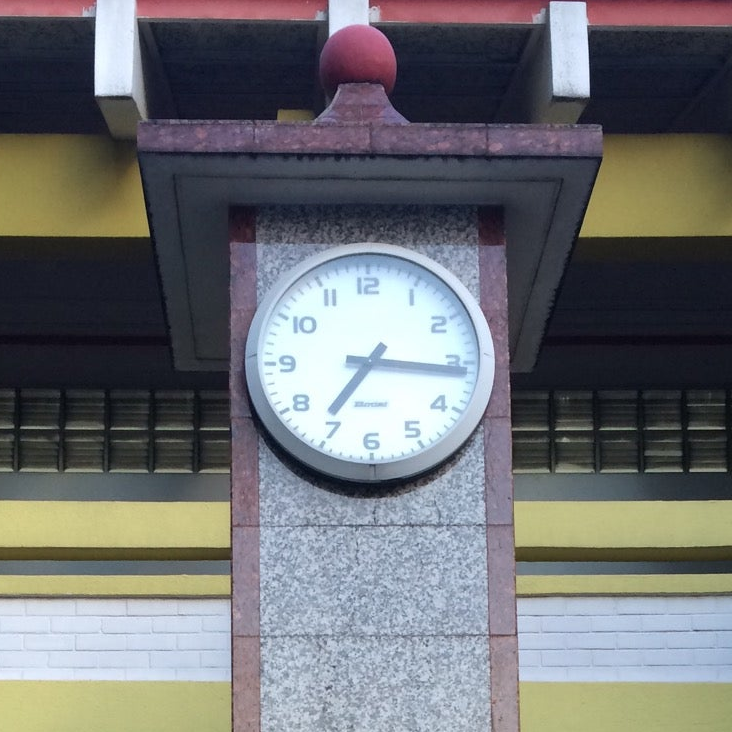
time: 7:15
